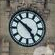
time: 4:51
